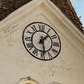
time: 1:28
